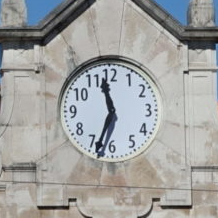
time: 11:33
